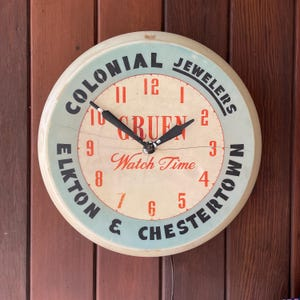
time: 1:51
